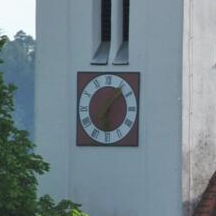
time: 6:06
